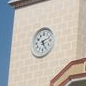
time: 5:11
